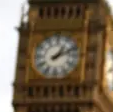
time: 1:11
